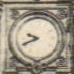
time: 9:41
